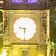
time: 9:30
